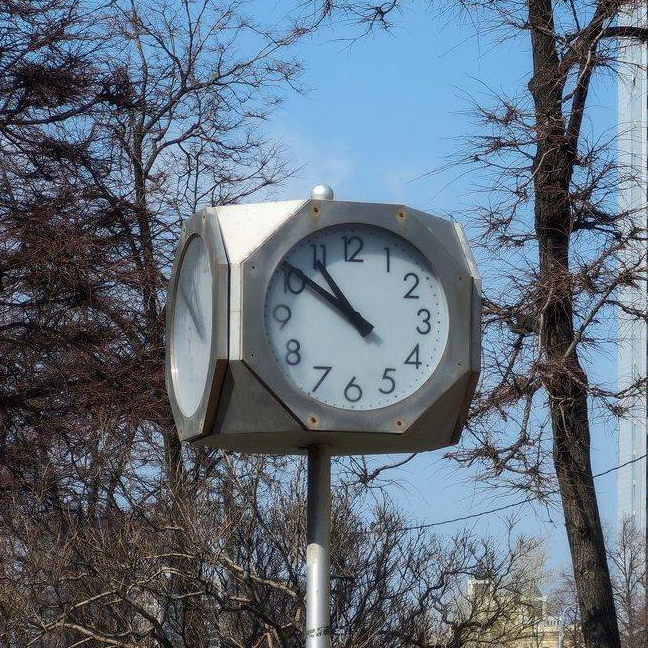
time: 10:51
